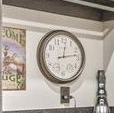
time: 12:12
